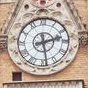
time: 2:28
